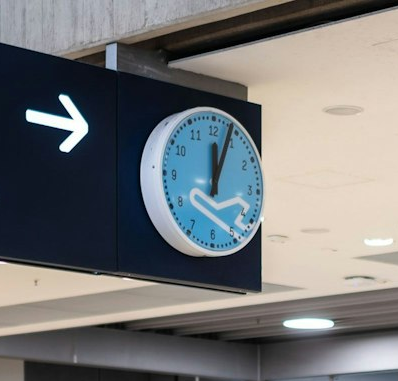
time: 12:03
